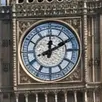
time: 12:10
